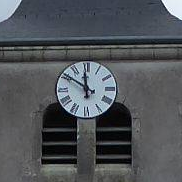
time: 11:50
